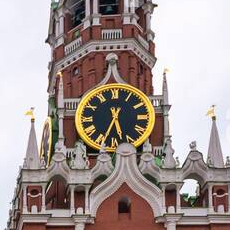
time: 5:33
